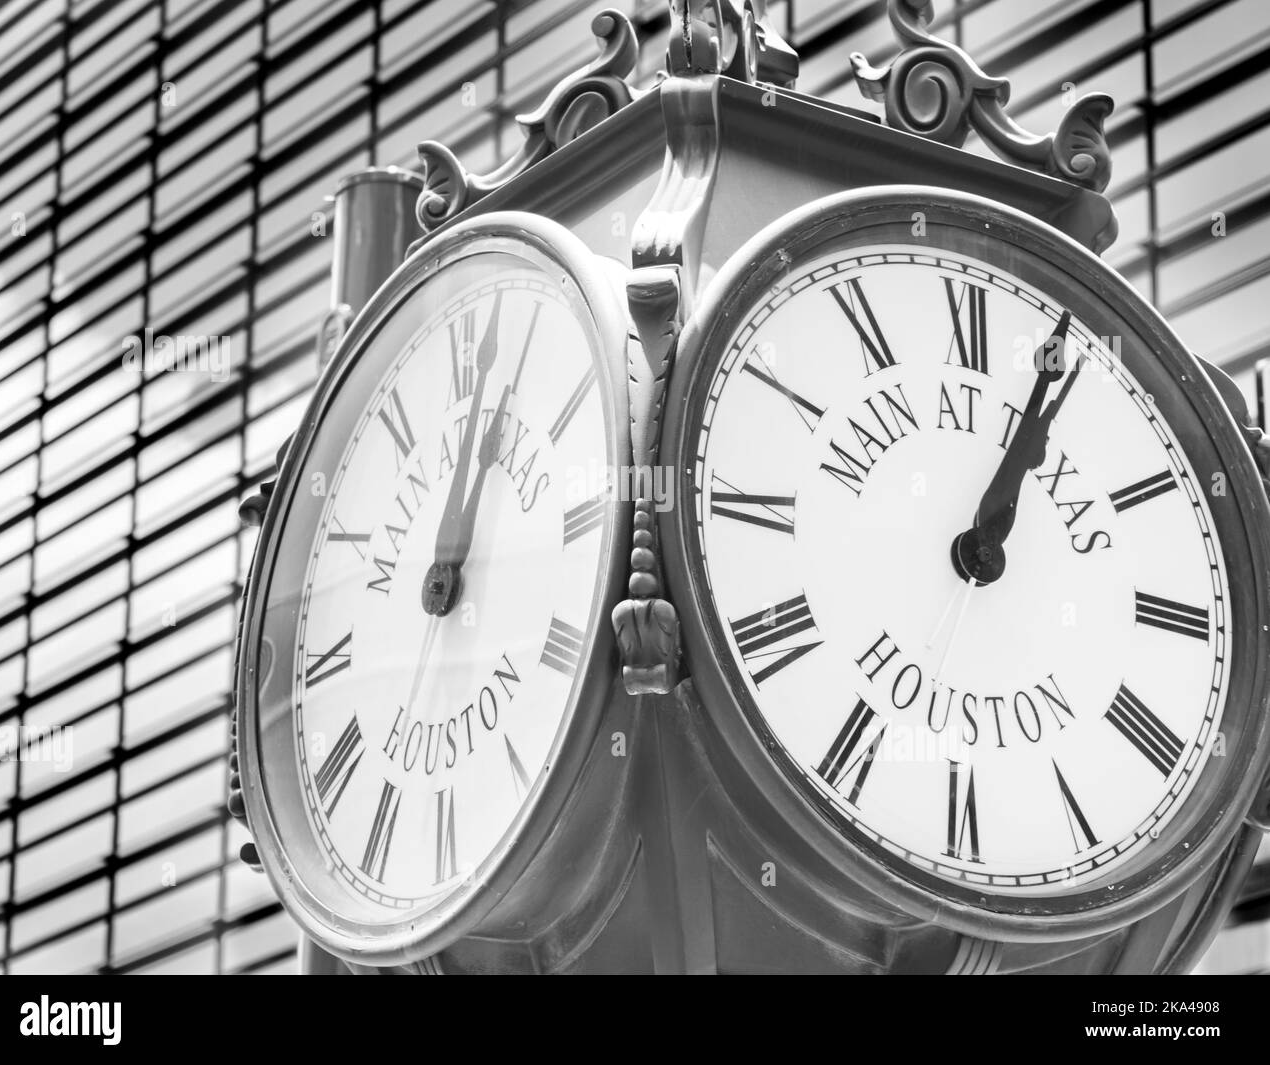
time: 1:03
